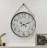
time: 10:11
